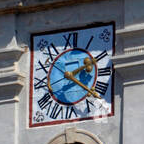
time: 2:21
